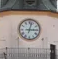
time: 3:02
